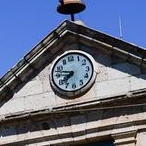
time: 7:47
